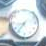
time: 8:36
